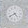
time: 4:40
